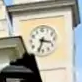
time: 3:33
